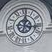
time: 12:16
